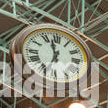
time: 11:33
